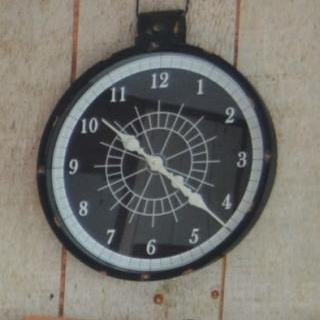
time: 10:22
